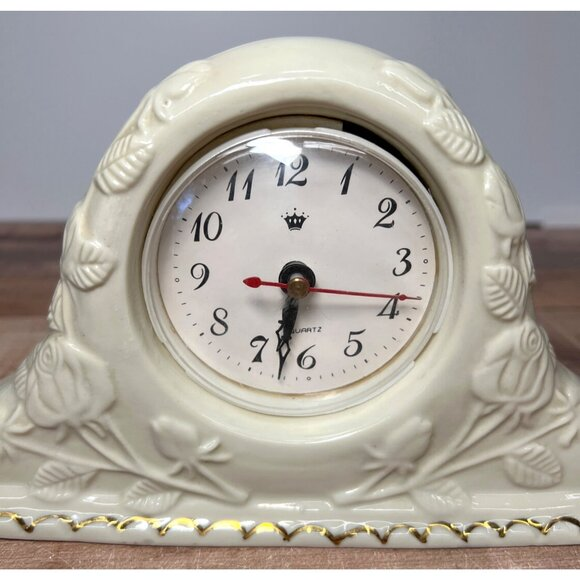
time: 6:32
